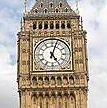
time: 5:03
